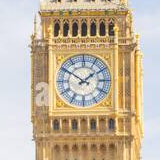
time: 1:50
